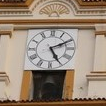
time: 5:10
